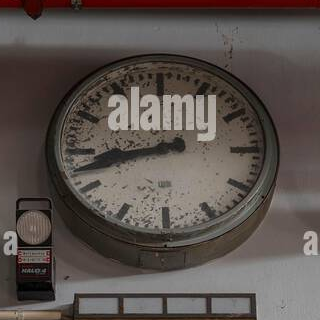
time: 8:42
